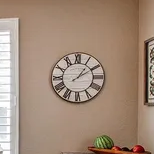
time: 1:09
